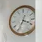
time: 3:34
